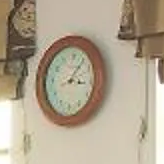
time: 3:06
